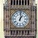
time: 1:01
